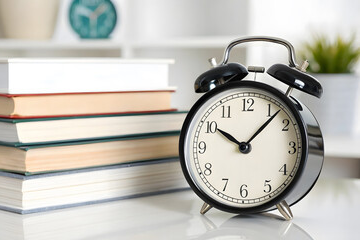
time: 10:07
